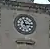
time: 11:13
